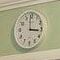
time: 2:59
